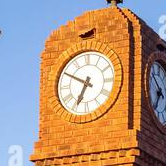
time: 6:49
